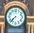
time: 7:37
